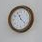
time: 11:22
